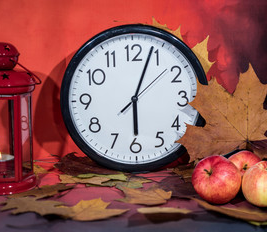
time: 6:03
